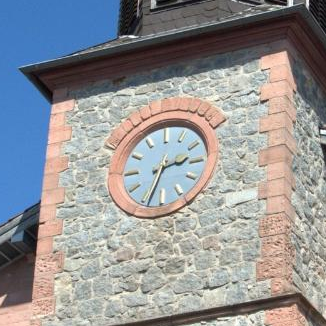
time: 2:33
